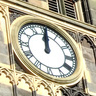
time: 12:00
